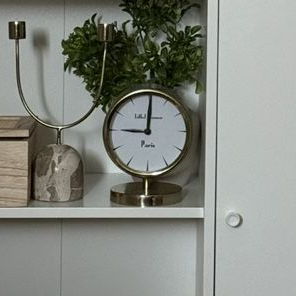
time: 9:00
